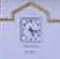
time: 5:17
